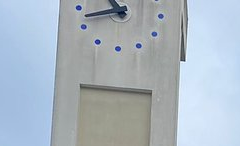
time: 10:42
